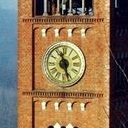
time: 11:27
